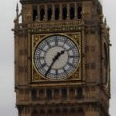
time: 1:35
